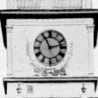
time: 11:12
